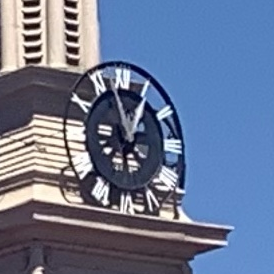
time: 12:57
